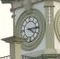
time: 4:14
